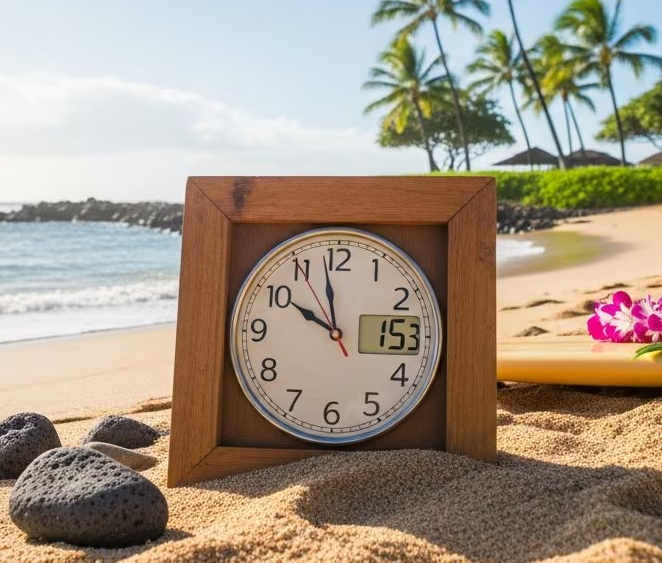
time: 9:58
